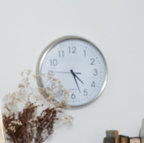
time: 4:26
